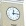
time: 12:14
